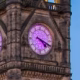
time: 4:18
